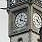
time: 4:02
